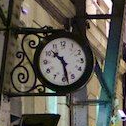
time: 10:28
